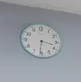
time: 3:31
